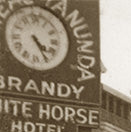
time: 4:24
